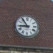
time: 8:53
